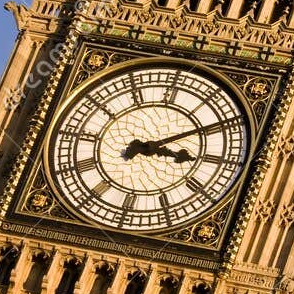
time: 3:09
